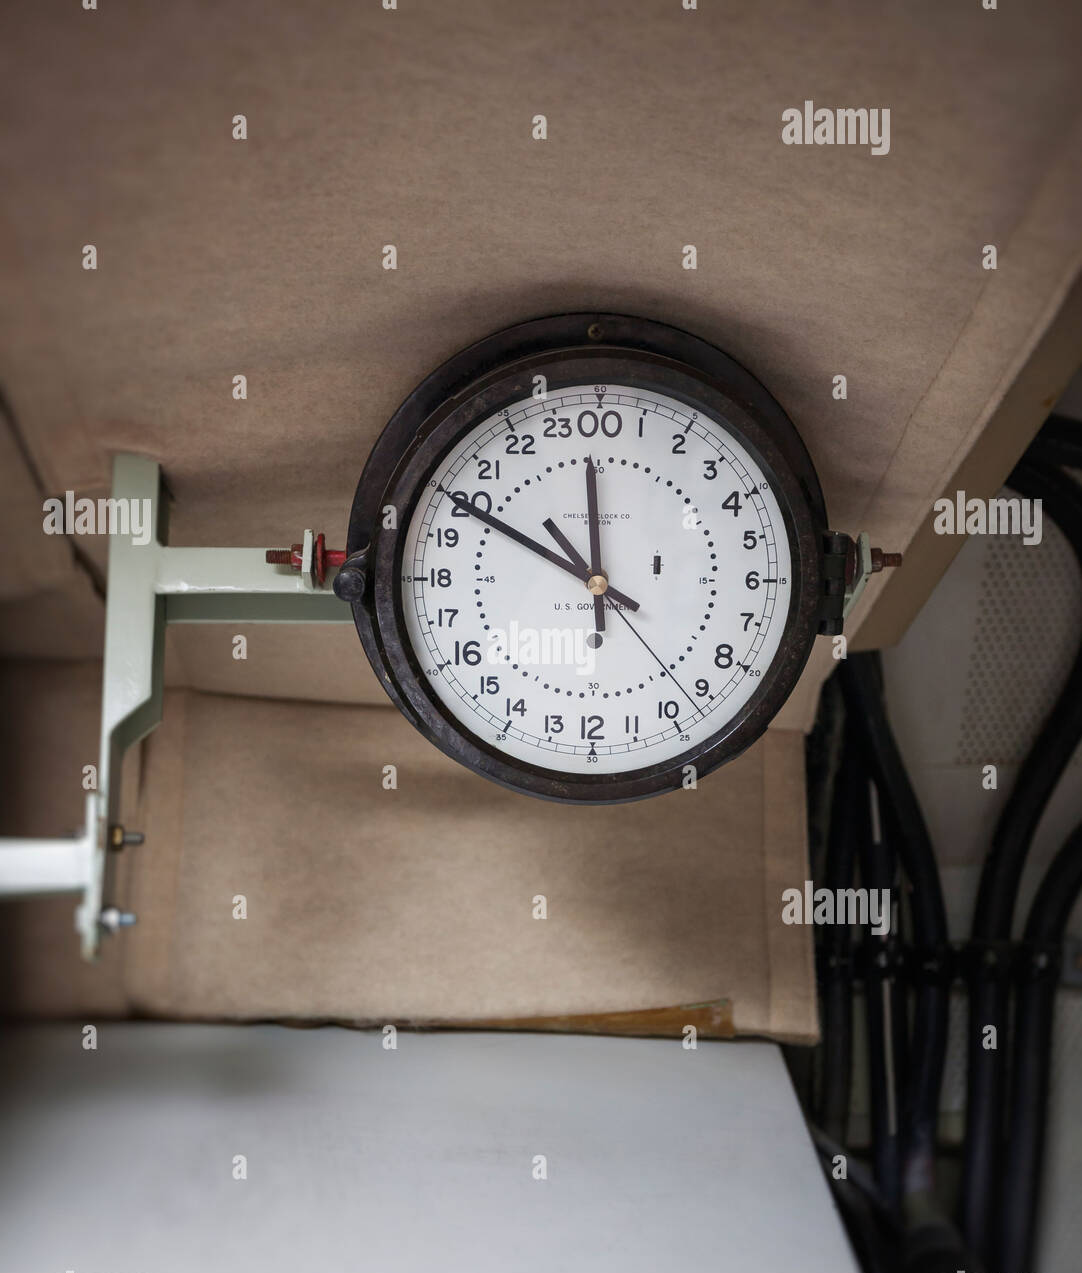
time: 11:49
